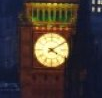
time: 4:09
